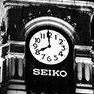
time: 7:59
